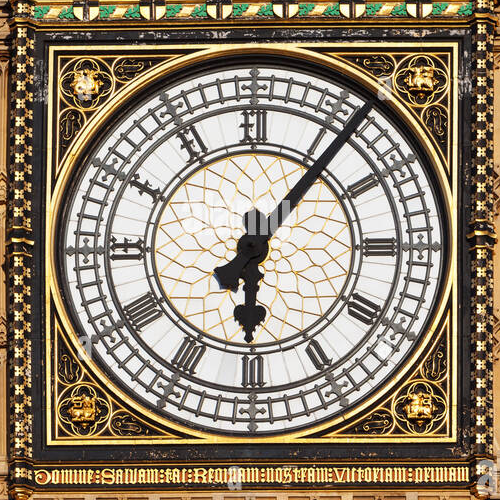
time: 6:06
